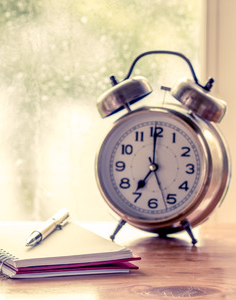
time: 7:00
